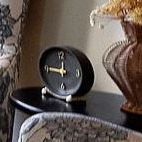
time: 11:46
